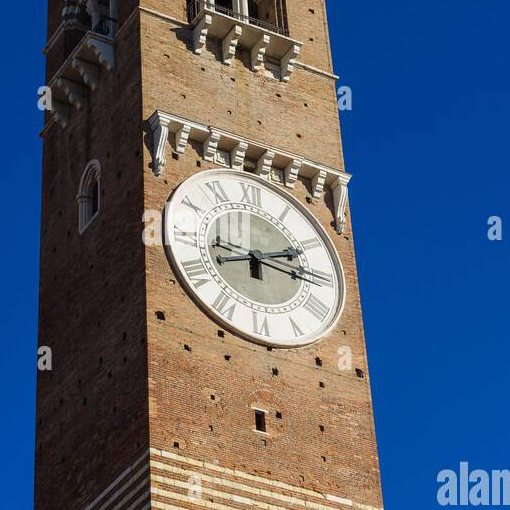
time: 2:16
